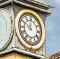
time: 10:00
